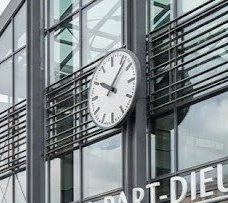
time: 10:07
